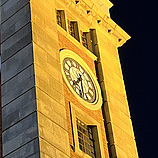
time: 7:32
